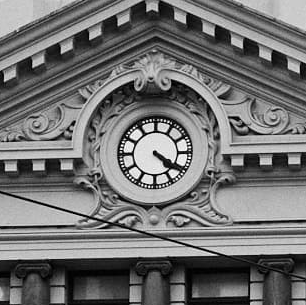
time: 4:20
